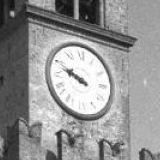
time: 9:48
